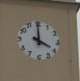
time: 3:59
